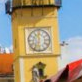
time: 11:32
